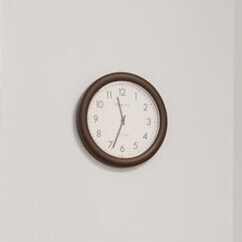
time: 11:33
